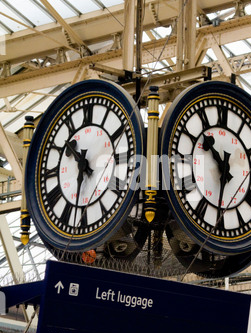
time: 10:32
